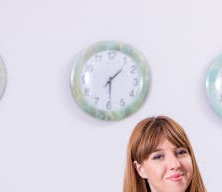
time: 1:29
